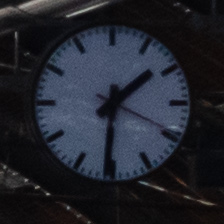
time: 1:31
